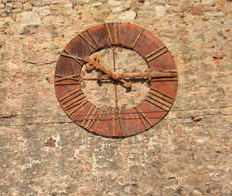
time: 10:14
